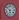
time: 5:51
